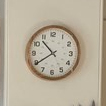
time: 10:39
